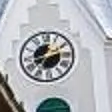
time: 2:36
